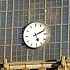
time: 5:11
